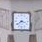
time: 3:39
